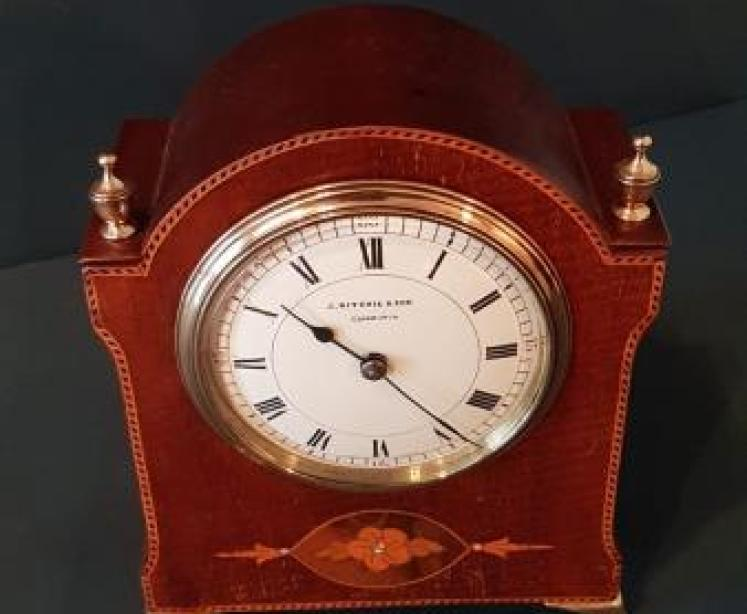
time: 10:22
